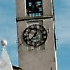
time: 12:37
